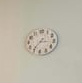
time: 7:15
